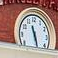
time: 11:28
